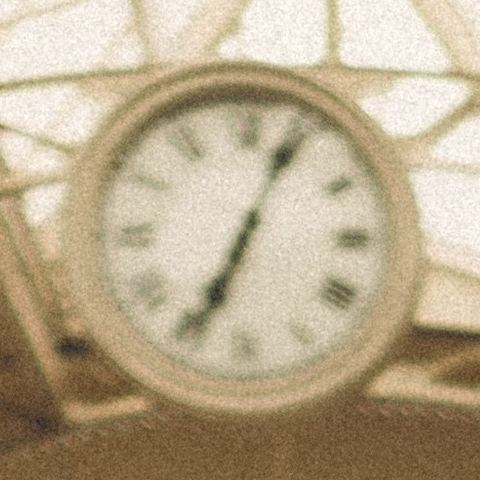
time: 7:04
